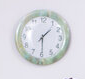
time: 1:29
